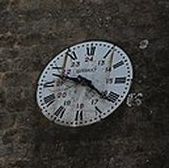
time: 9:21
